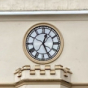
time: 12:25
